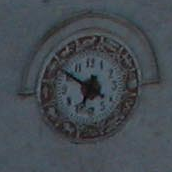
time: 6:50
